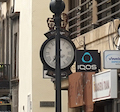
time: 6:00
